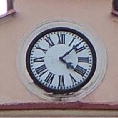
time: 4:07
